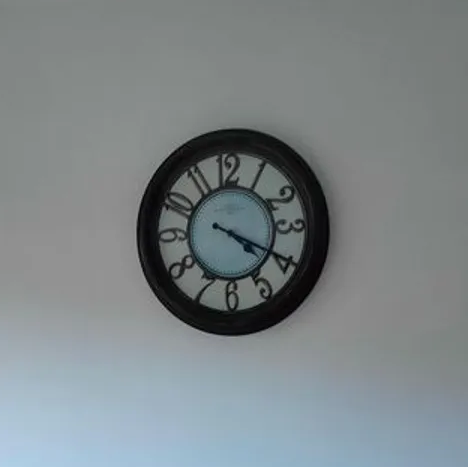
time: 4:19
